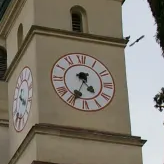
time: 4:34
